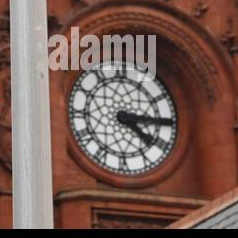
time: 4:14
